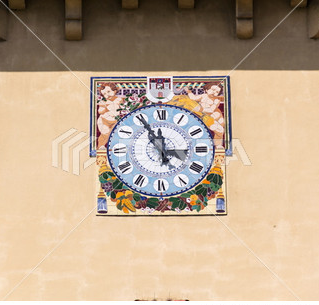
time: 11:55
